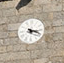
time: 5:18
